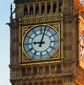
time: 9:02
